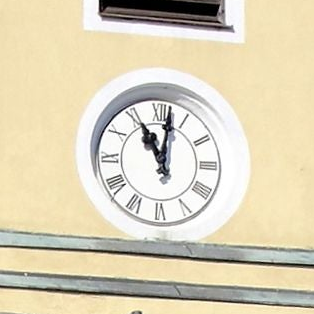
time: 11:01
